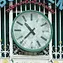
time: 10:37
